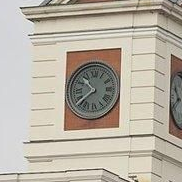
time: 10:38
